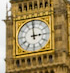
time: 2:59
